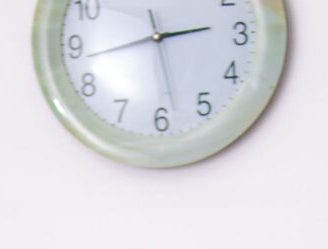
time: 2:43
